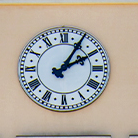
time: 2:05
